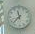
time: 11:37
